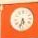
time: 5:33
